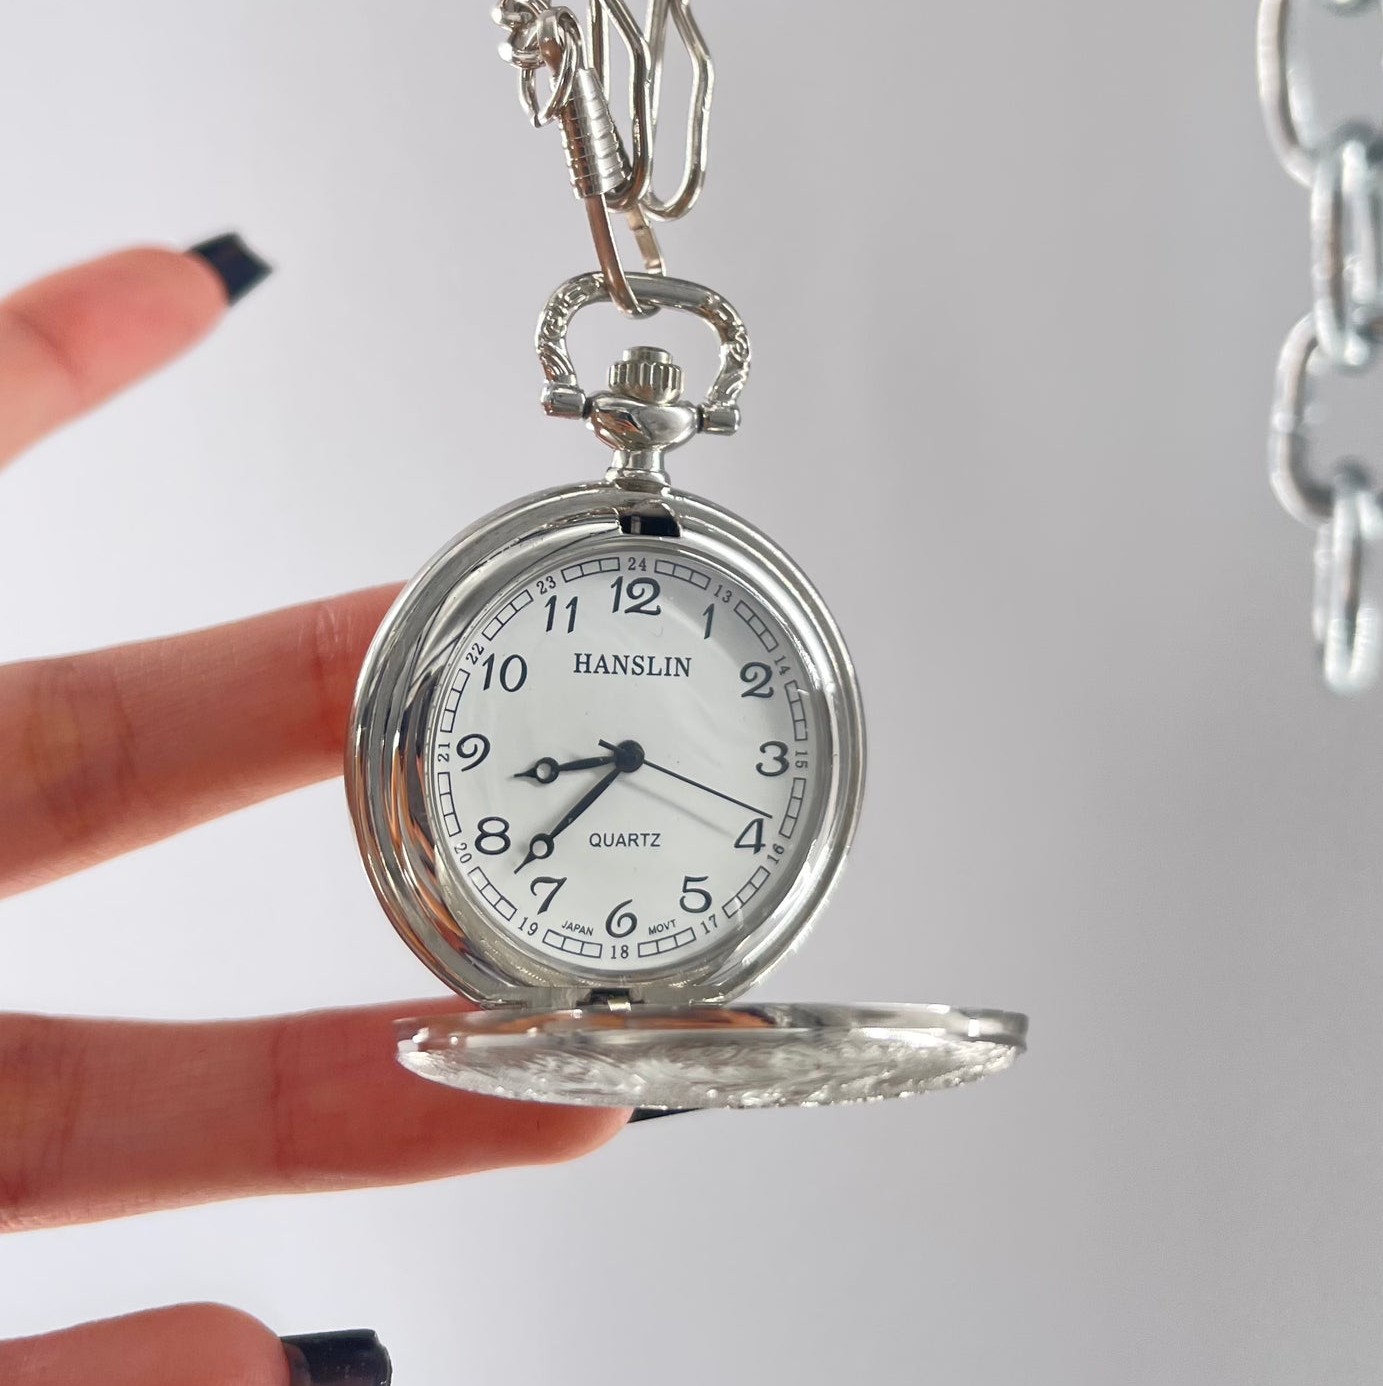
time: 8:37
